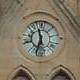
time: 11:32
